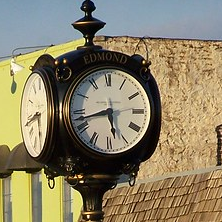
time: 5:42
